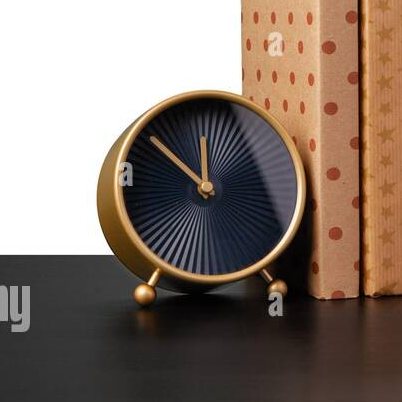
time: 11:50
